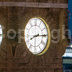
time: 8:14
